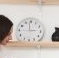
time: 2:58
